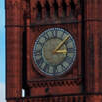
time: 3:08
